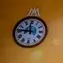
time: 11:46
